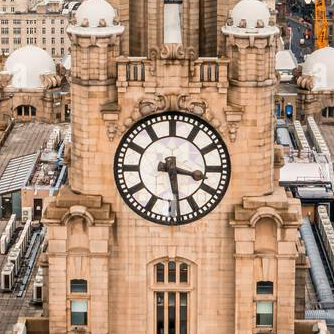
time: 3:28
